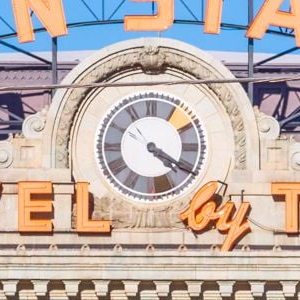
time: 4:19
